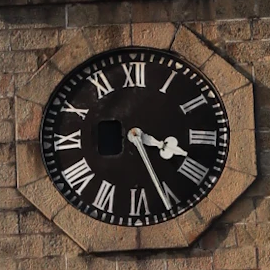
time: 3:26
